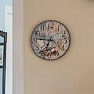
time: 6:46
